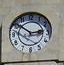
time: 2:51
